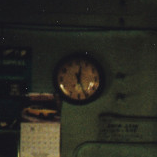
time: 12:26
